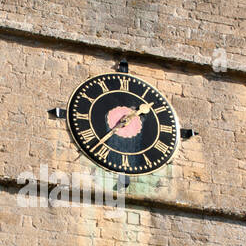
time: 1:36
